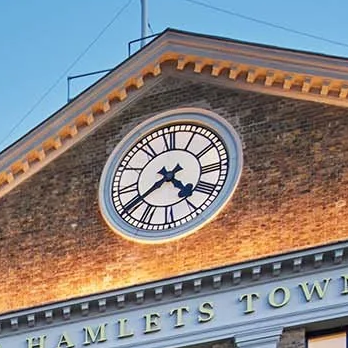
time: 4:39
